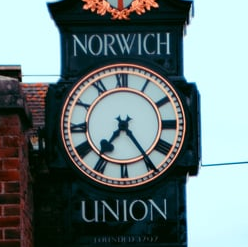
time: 7:24
